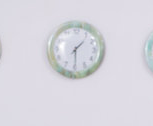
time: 1:29
